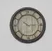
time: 10:15
